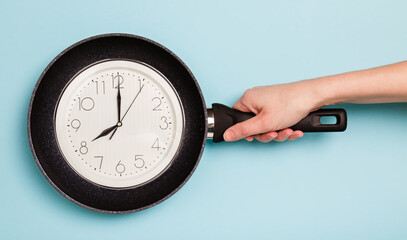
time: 8:00
